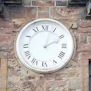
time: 2:03
